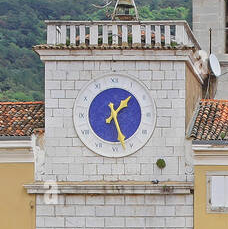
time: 1:27
